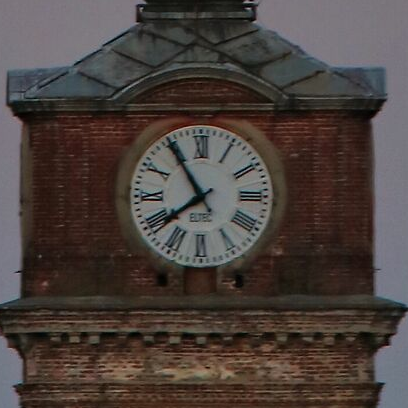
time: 7:54
